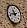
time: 10:42
